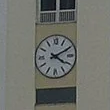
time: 4:10
